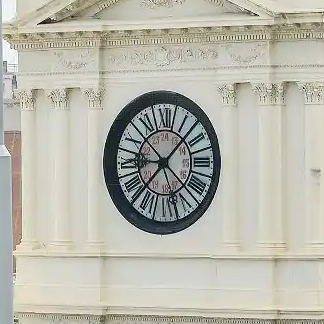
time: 9:07
